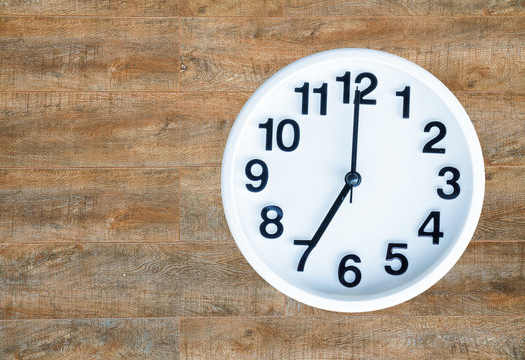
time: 7:00
